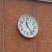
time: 11:23
